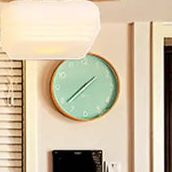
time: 1:38
